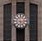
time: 6:14
